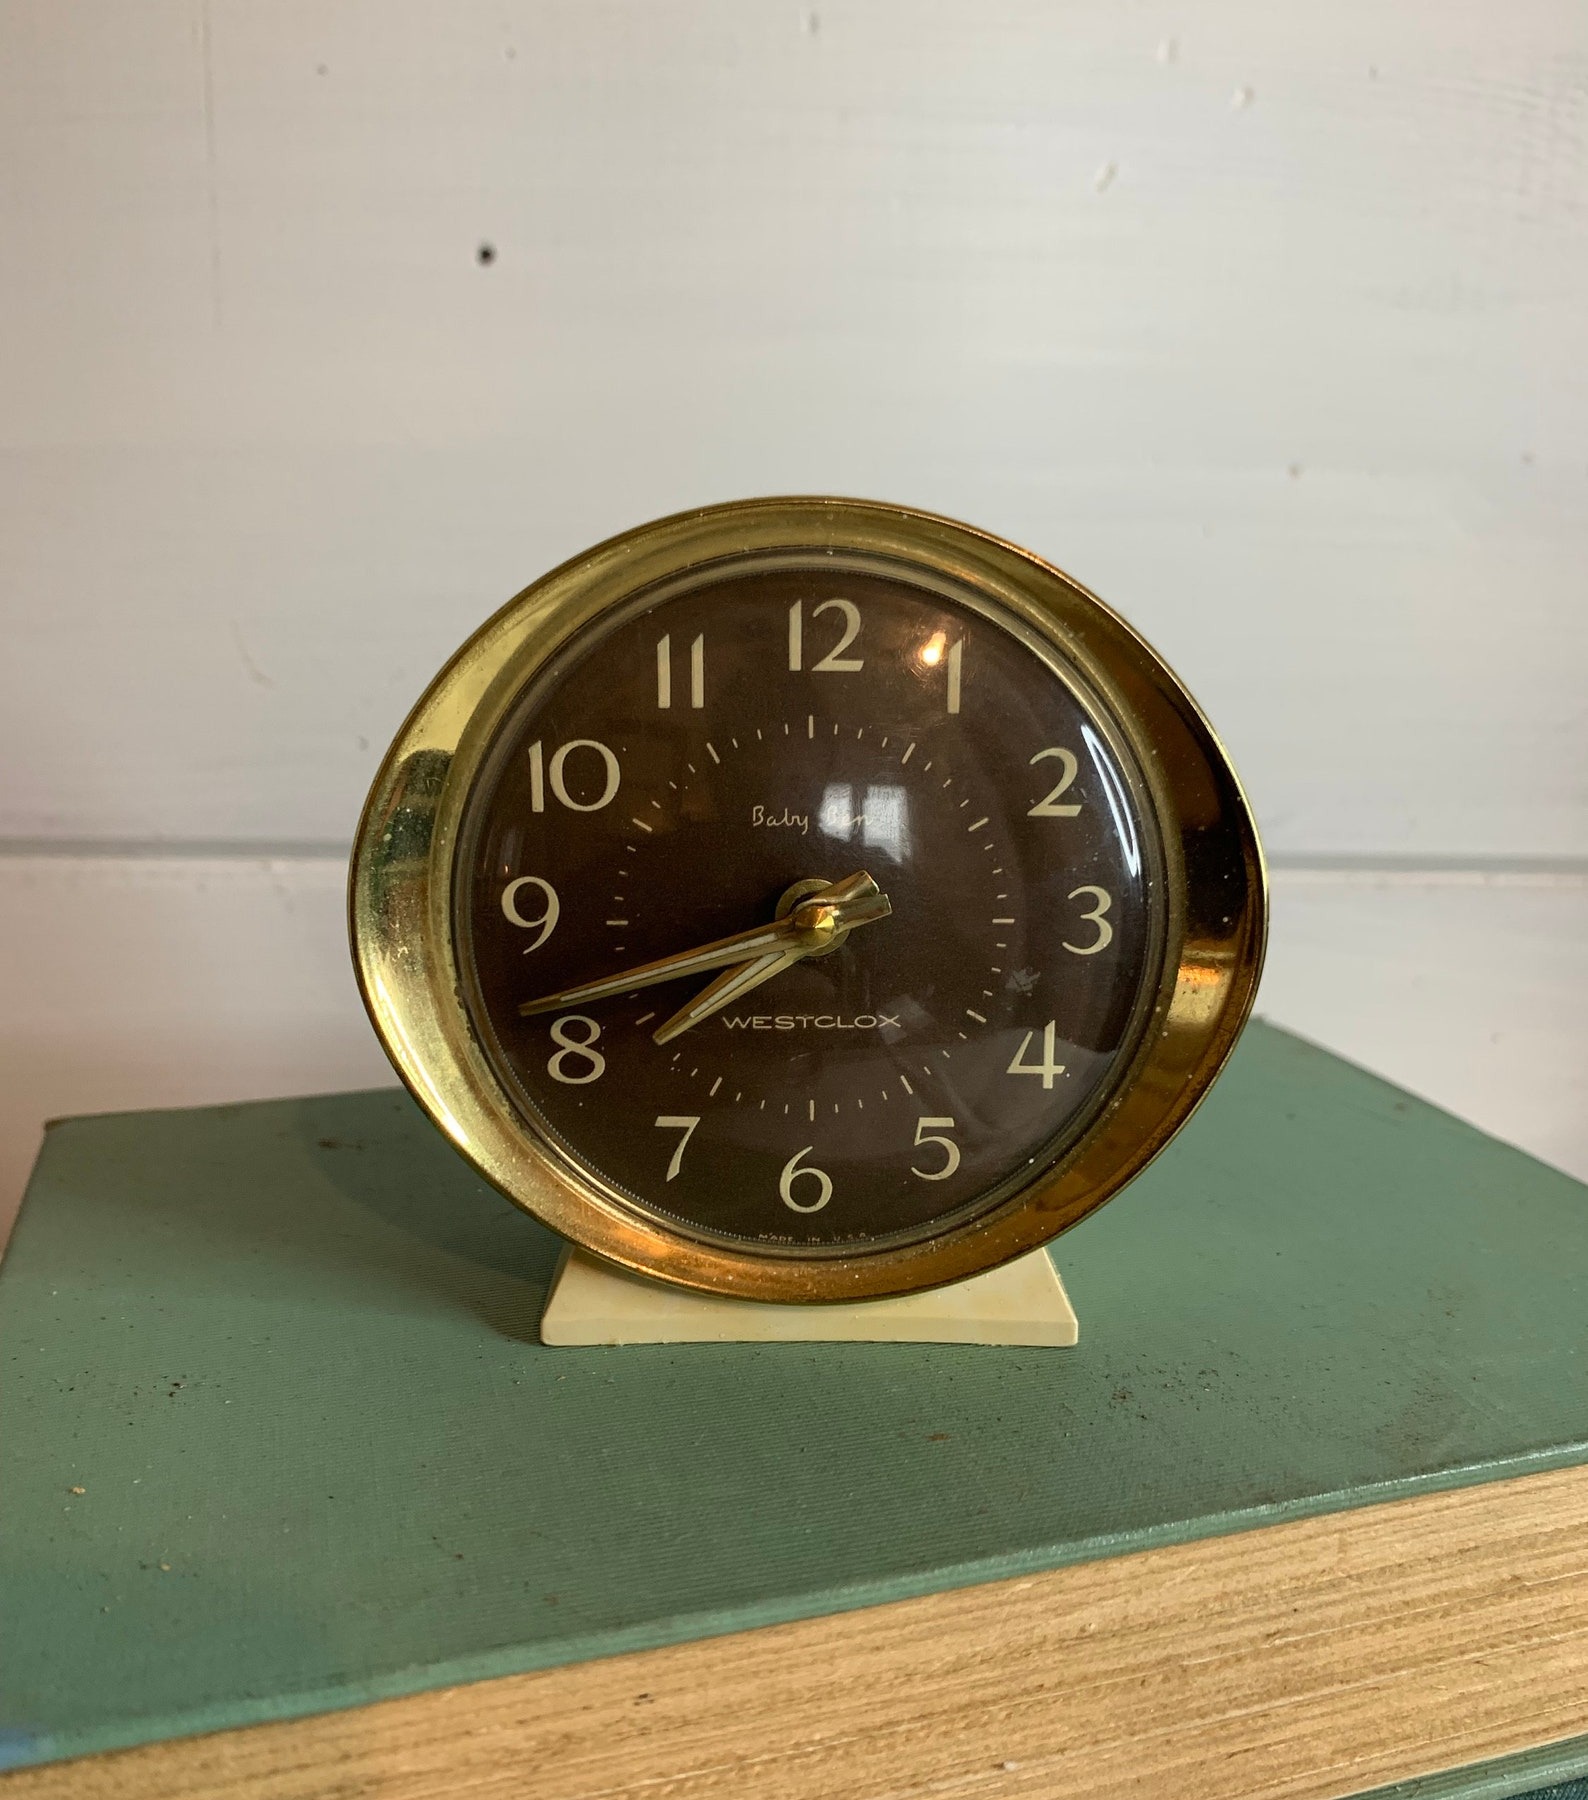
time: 7:41
